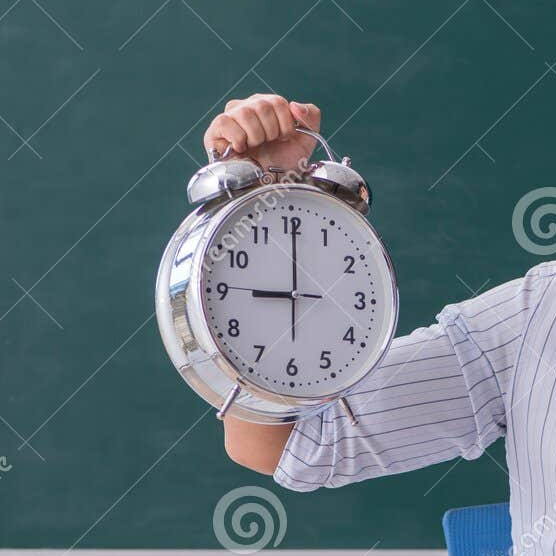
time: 9:00
